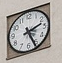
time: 2:26
